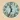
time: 11:34
